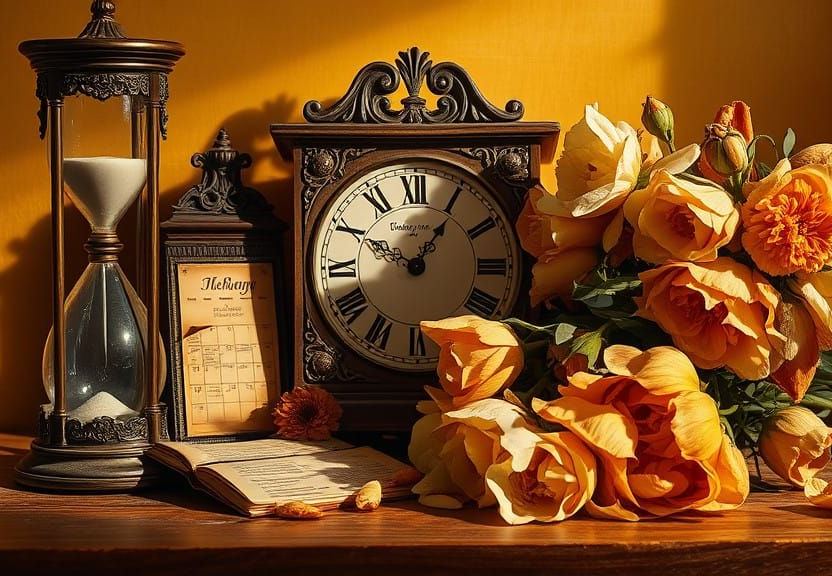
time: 10:05
